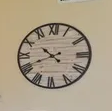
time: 10:41
